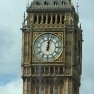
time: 12:02
